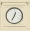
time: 12:34
